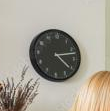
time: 4:12
